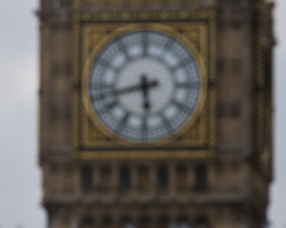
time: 5:42
